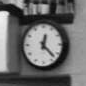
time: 12:22
